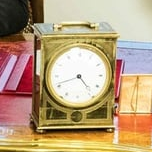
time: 4:41
